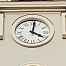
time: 4:01
